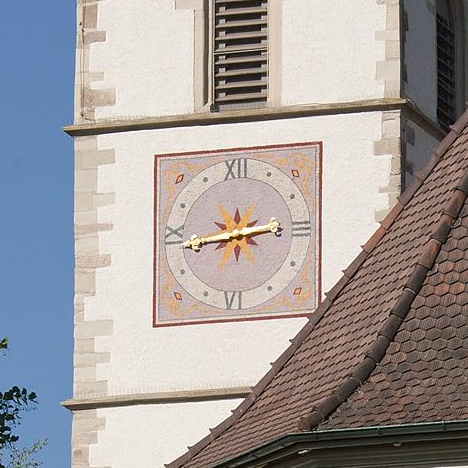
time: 2:43
